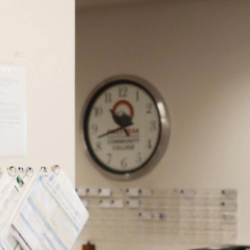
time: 10:42
